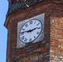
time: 2:46
